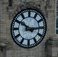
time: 2:50
